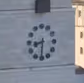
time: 8:30
